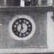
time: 11:35
